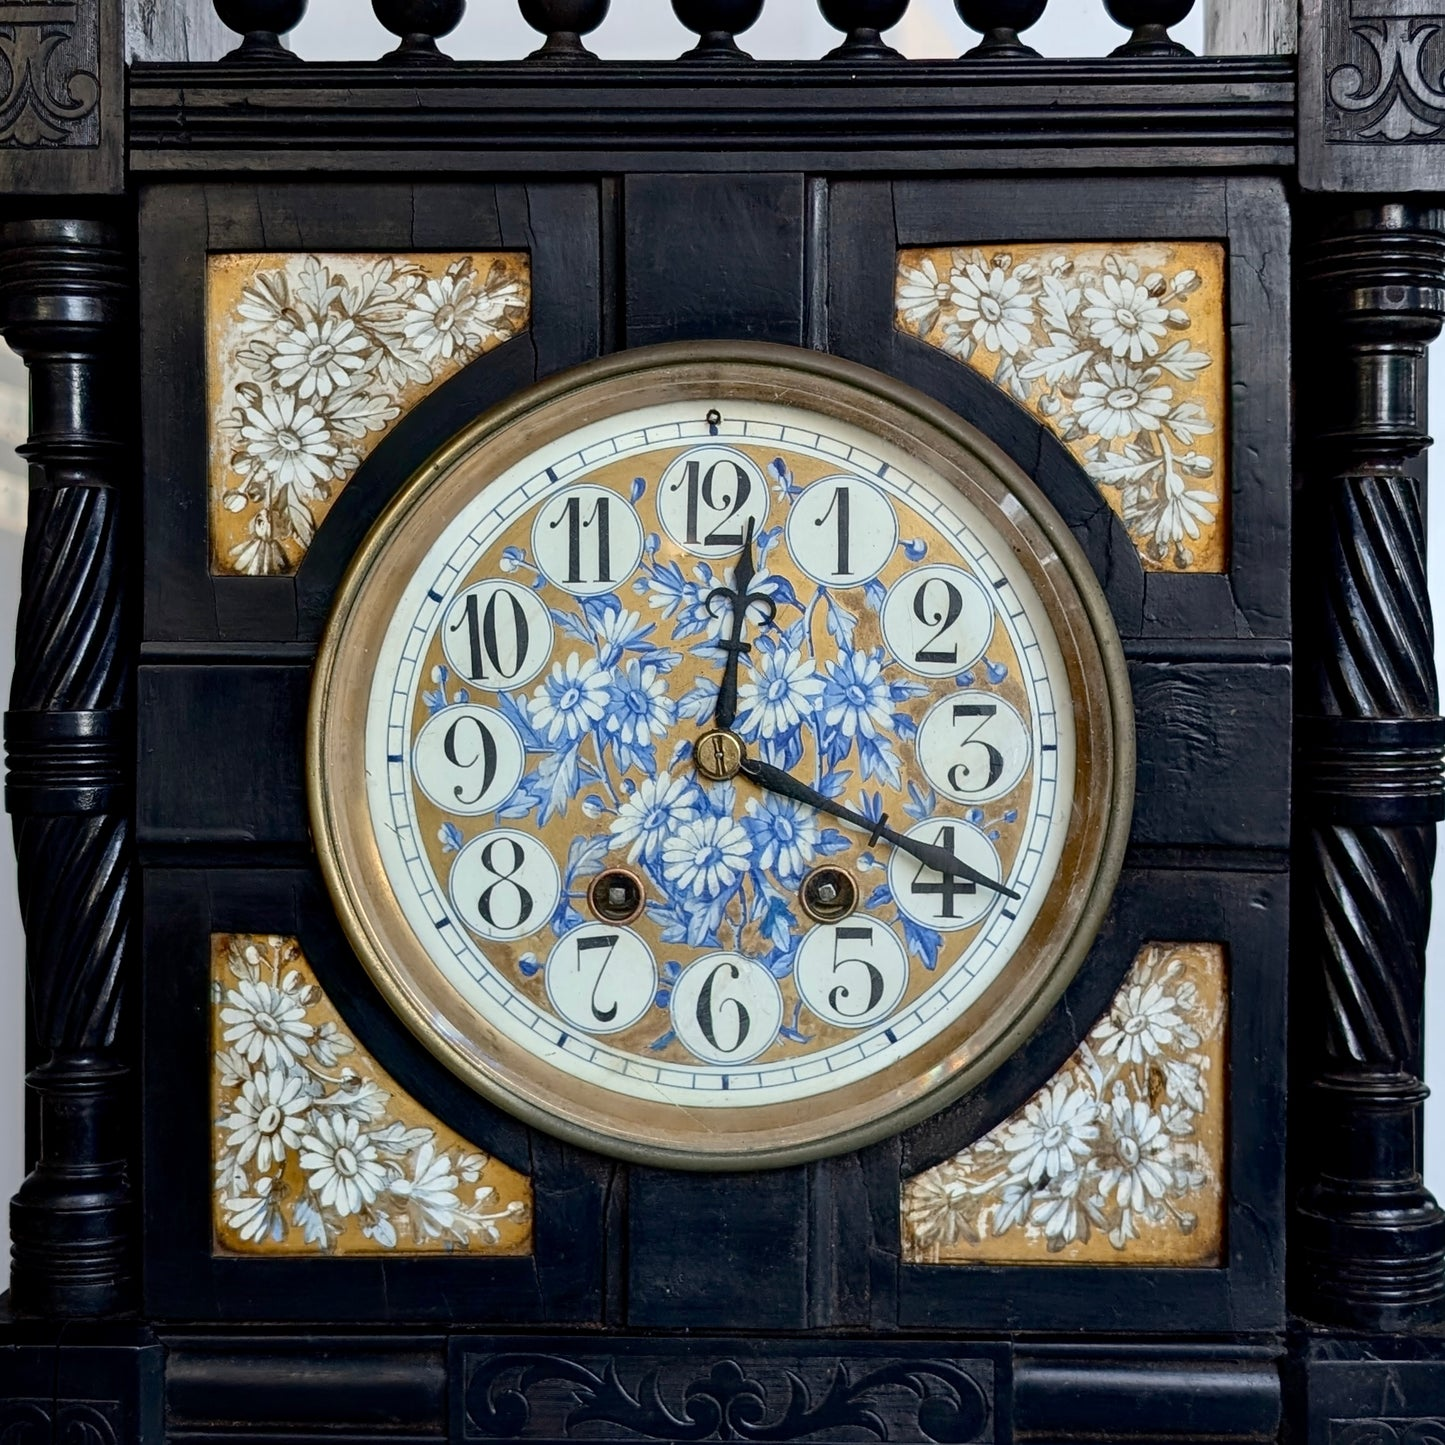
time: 12:19
